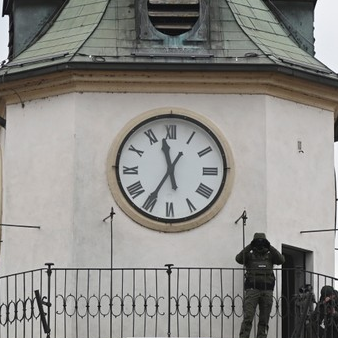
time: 11:35
